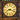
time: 8:18
